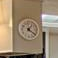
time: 1:20
